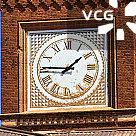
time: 1:45
